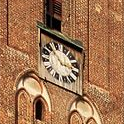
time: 2:52
